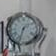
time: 1:32
